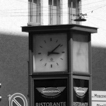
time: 3:08
